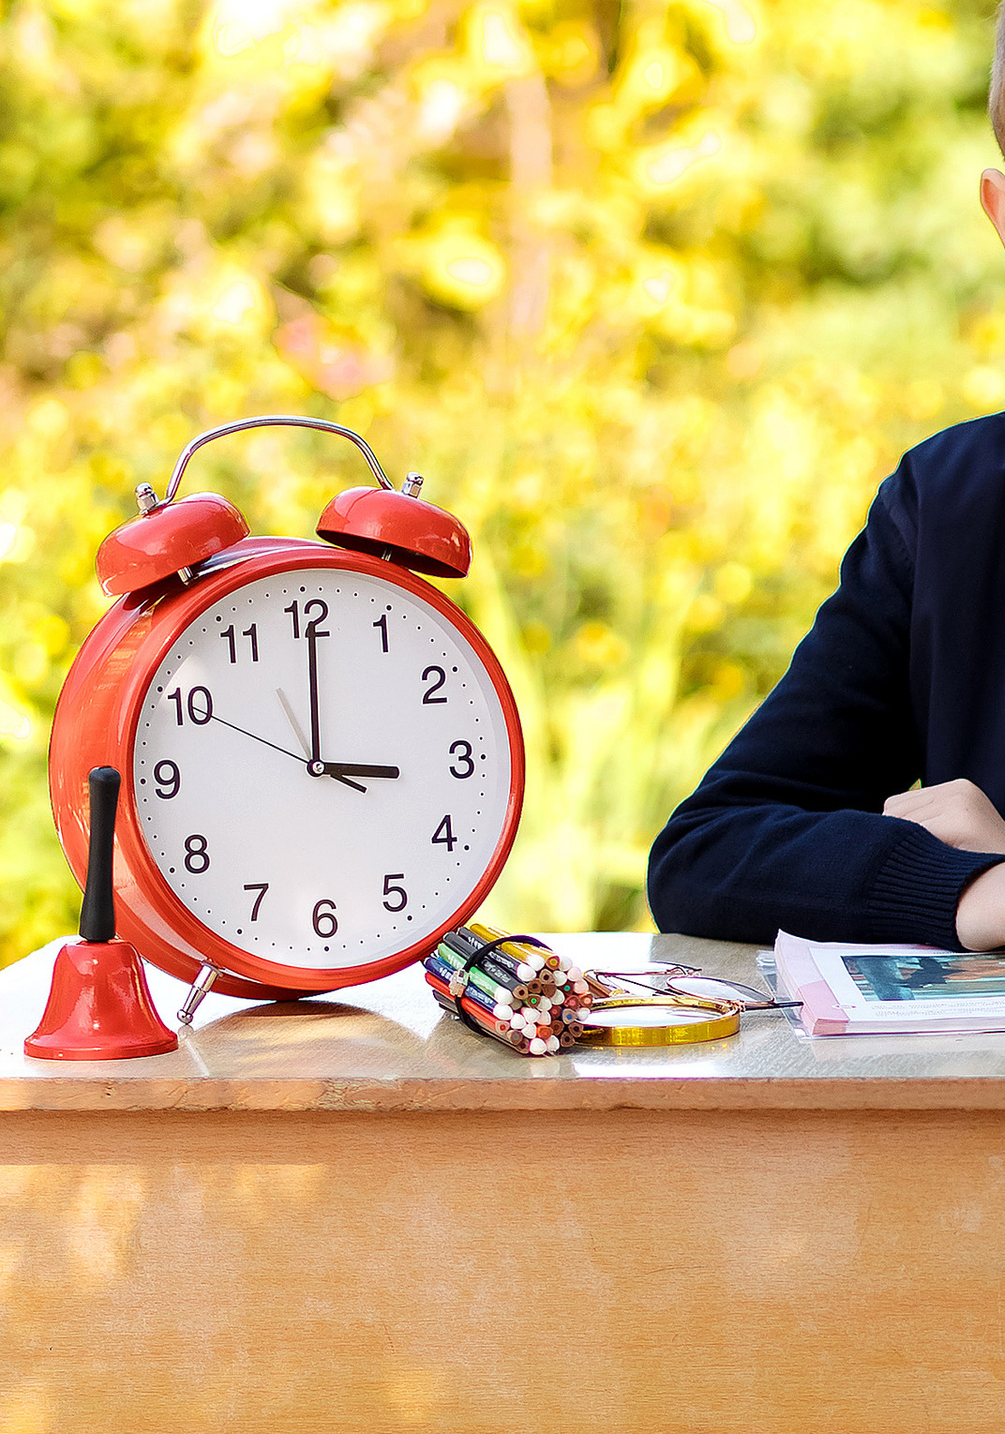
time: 3:00
